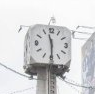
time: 11:29
